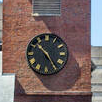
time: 10:24
